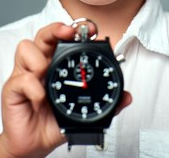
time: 11:46
